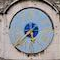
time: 5:37
